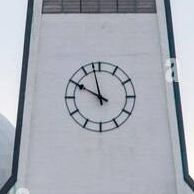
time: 9:57
